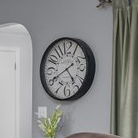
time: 4:40
